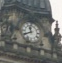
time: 11:40
